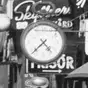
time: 4:37
